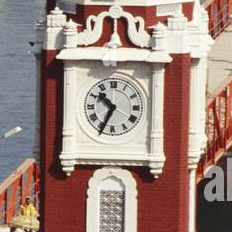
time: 10:34
